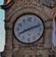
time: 8:11
